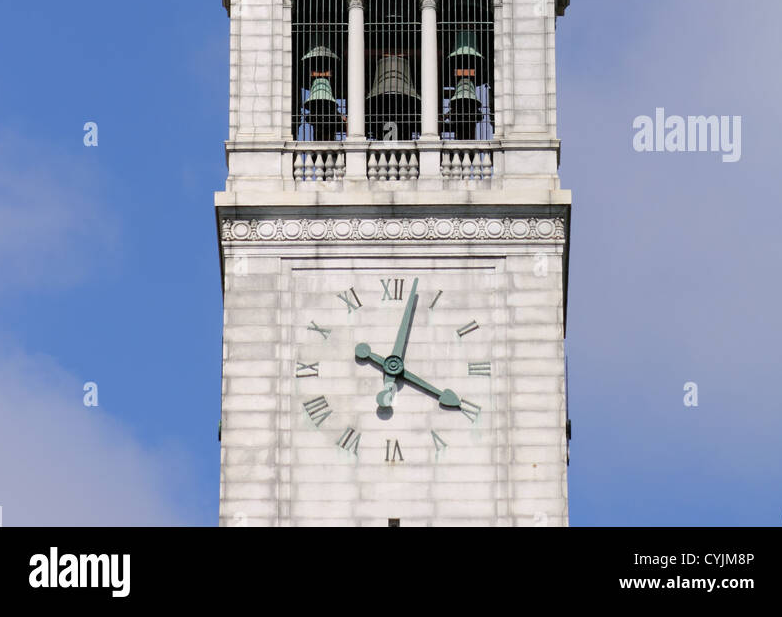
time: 4:02
